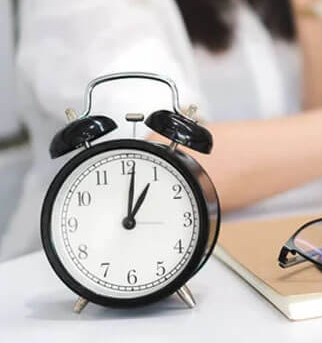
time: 1:01
